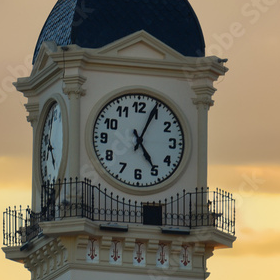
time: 5:04
